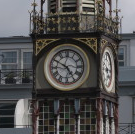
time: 4:49
